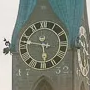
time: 5:46
